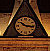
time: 10:16
